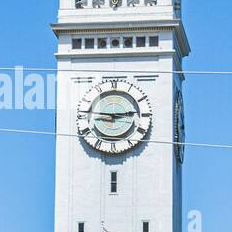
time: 2:46
